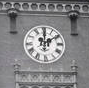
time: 12:09
